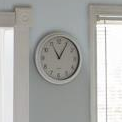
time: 11:05
